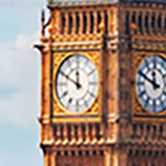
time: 11:49
